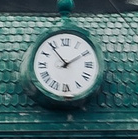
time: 1:53
